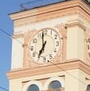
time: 6:58
